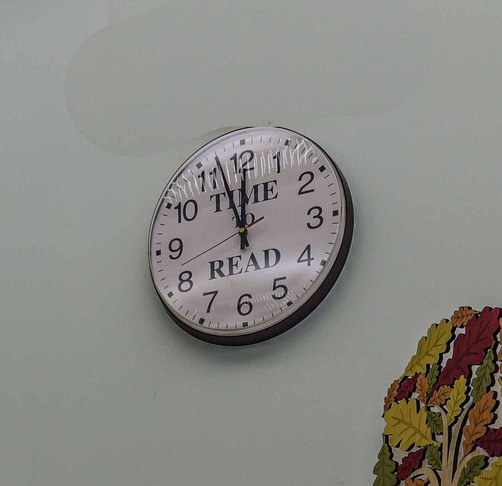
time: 11:56
